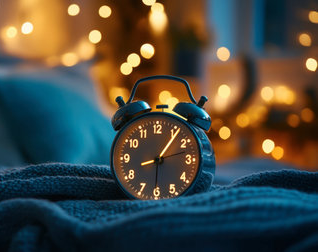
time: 8:06
